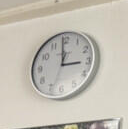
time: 2:59
